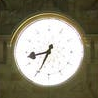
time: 8:34
